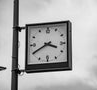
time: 3:40
